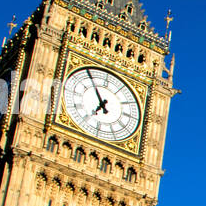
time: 6:54
